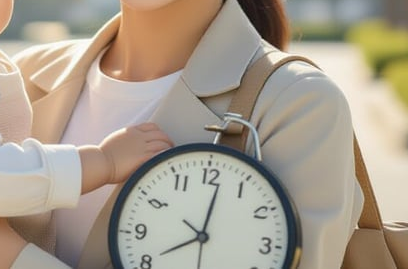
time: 8:01
